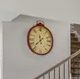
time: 11:36
